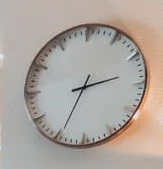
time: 2:34
